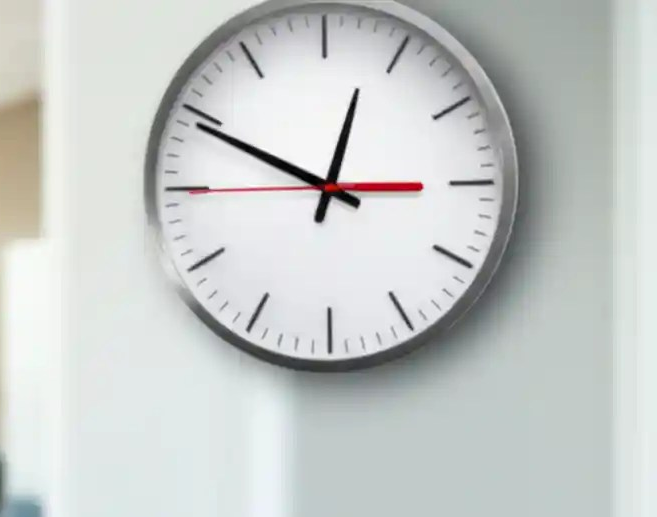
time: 12:49
